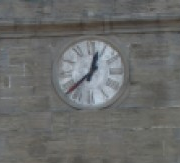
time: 12:38
